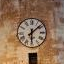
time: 6:08
